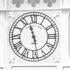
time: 11:28
